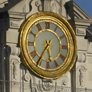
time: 5:35
